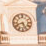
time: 8:26
